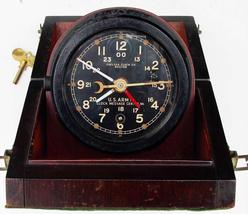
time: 7:50
